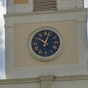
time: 10:02
